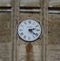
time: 2:21
